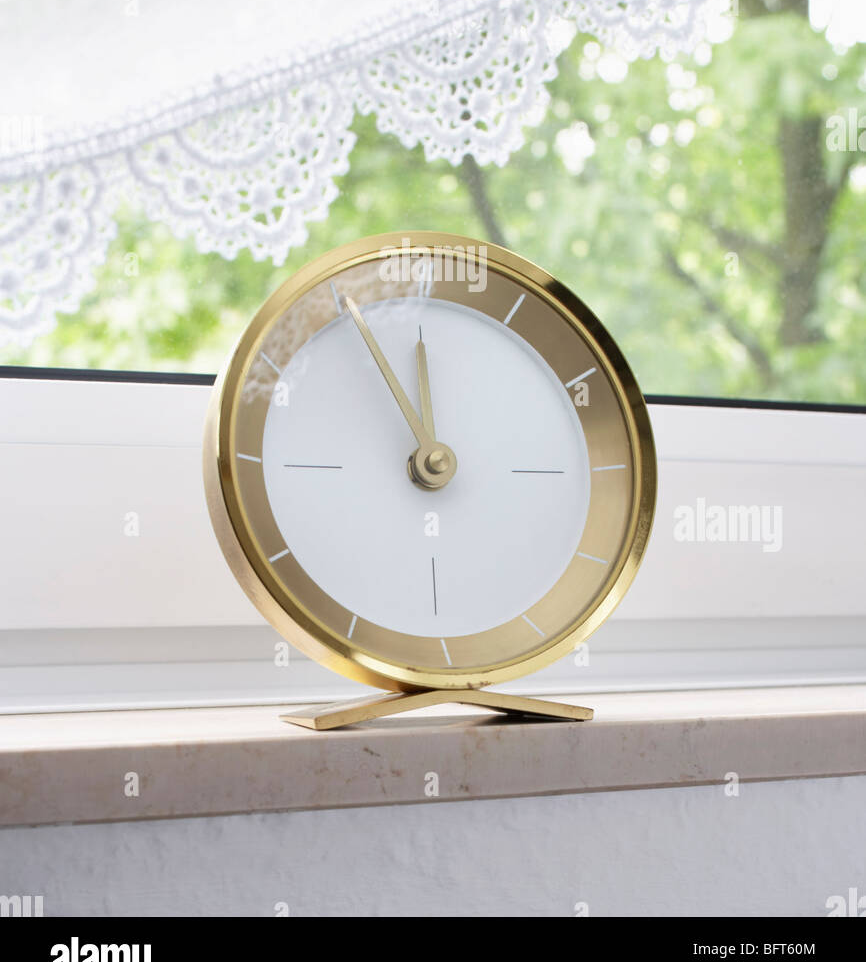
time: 11:55
